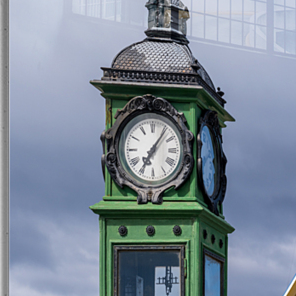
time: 7:06
